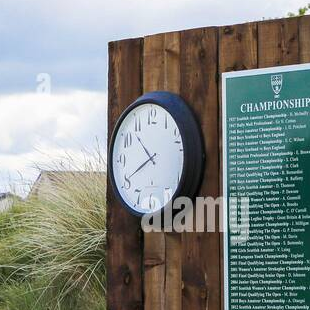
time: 10:40
